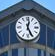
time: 12:25
